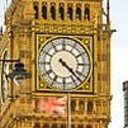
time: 4:22
